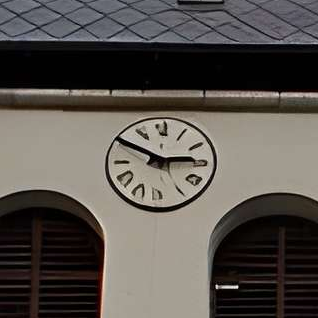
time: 2:50
